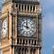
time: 11:47
